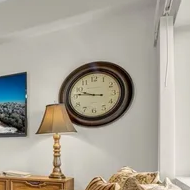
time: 9:46
